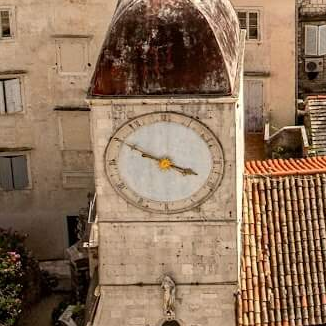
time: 3:50
